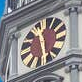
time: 11:28
